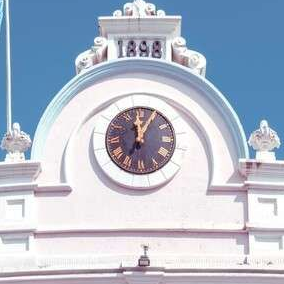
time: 12:05
